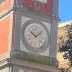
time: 10:07
